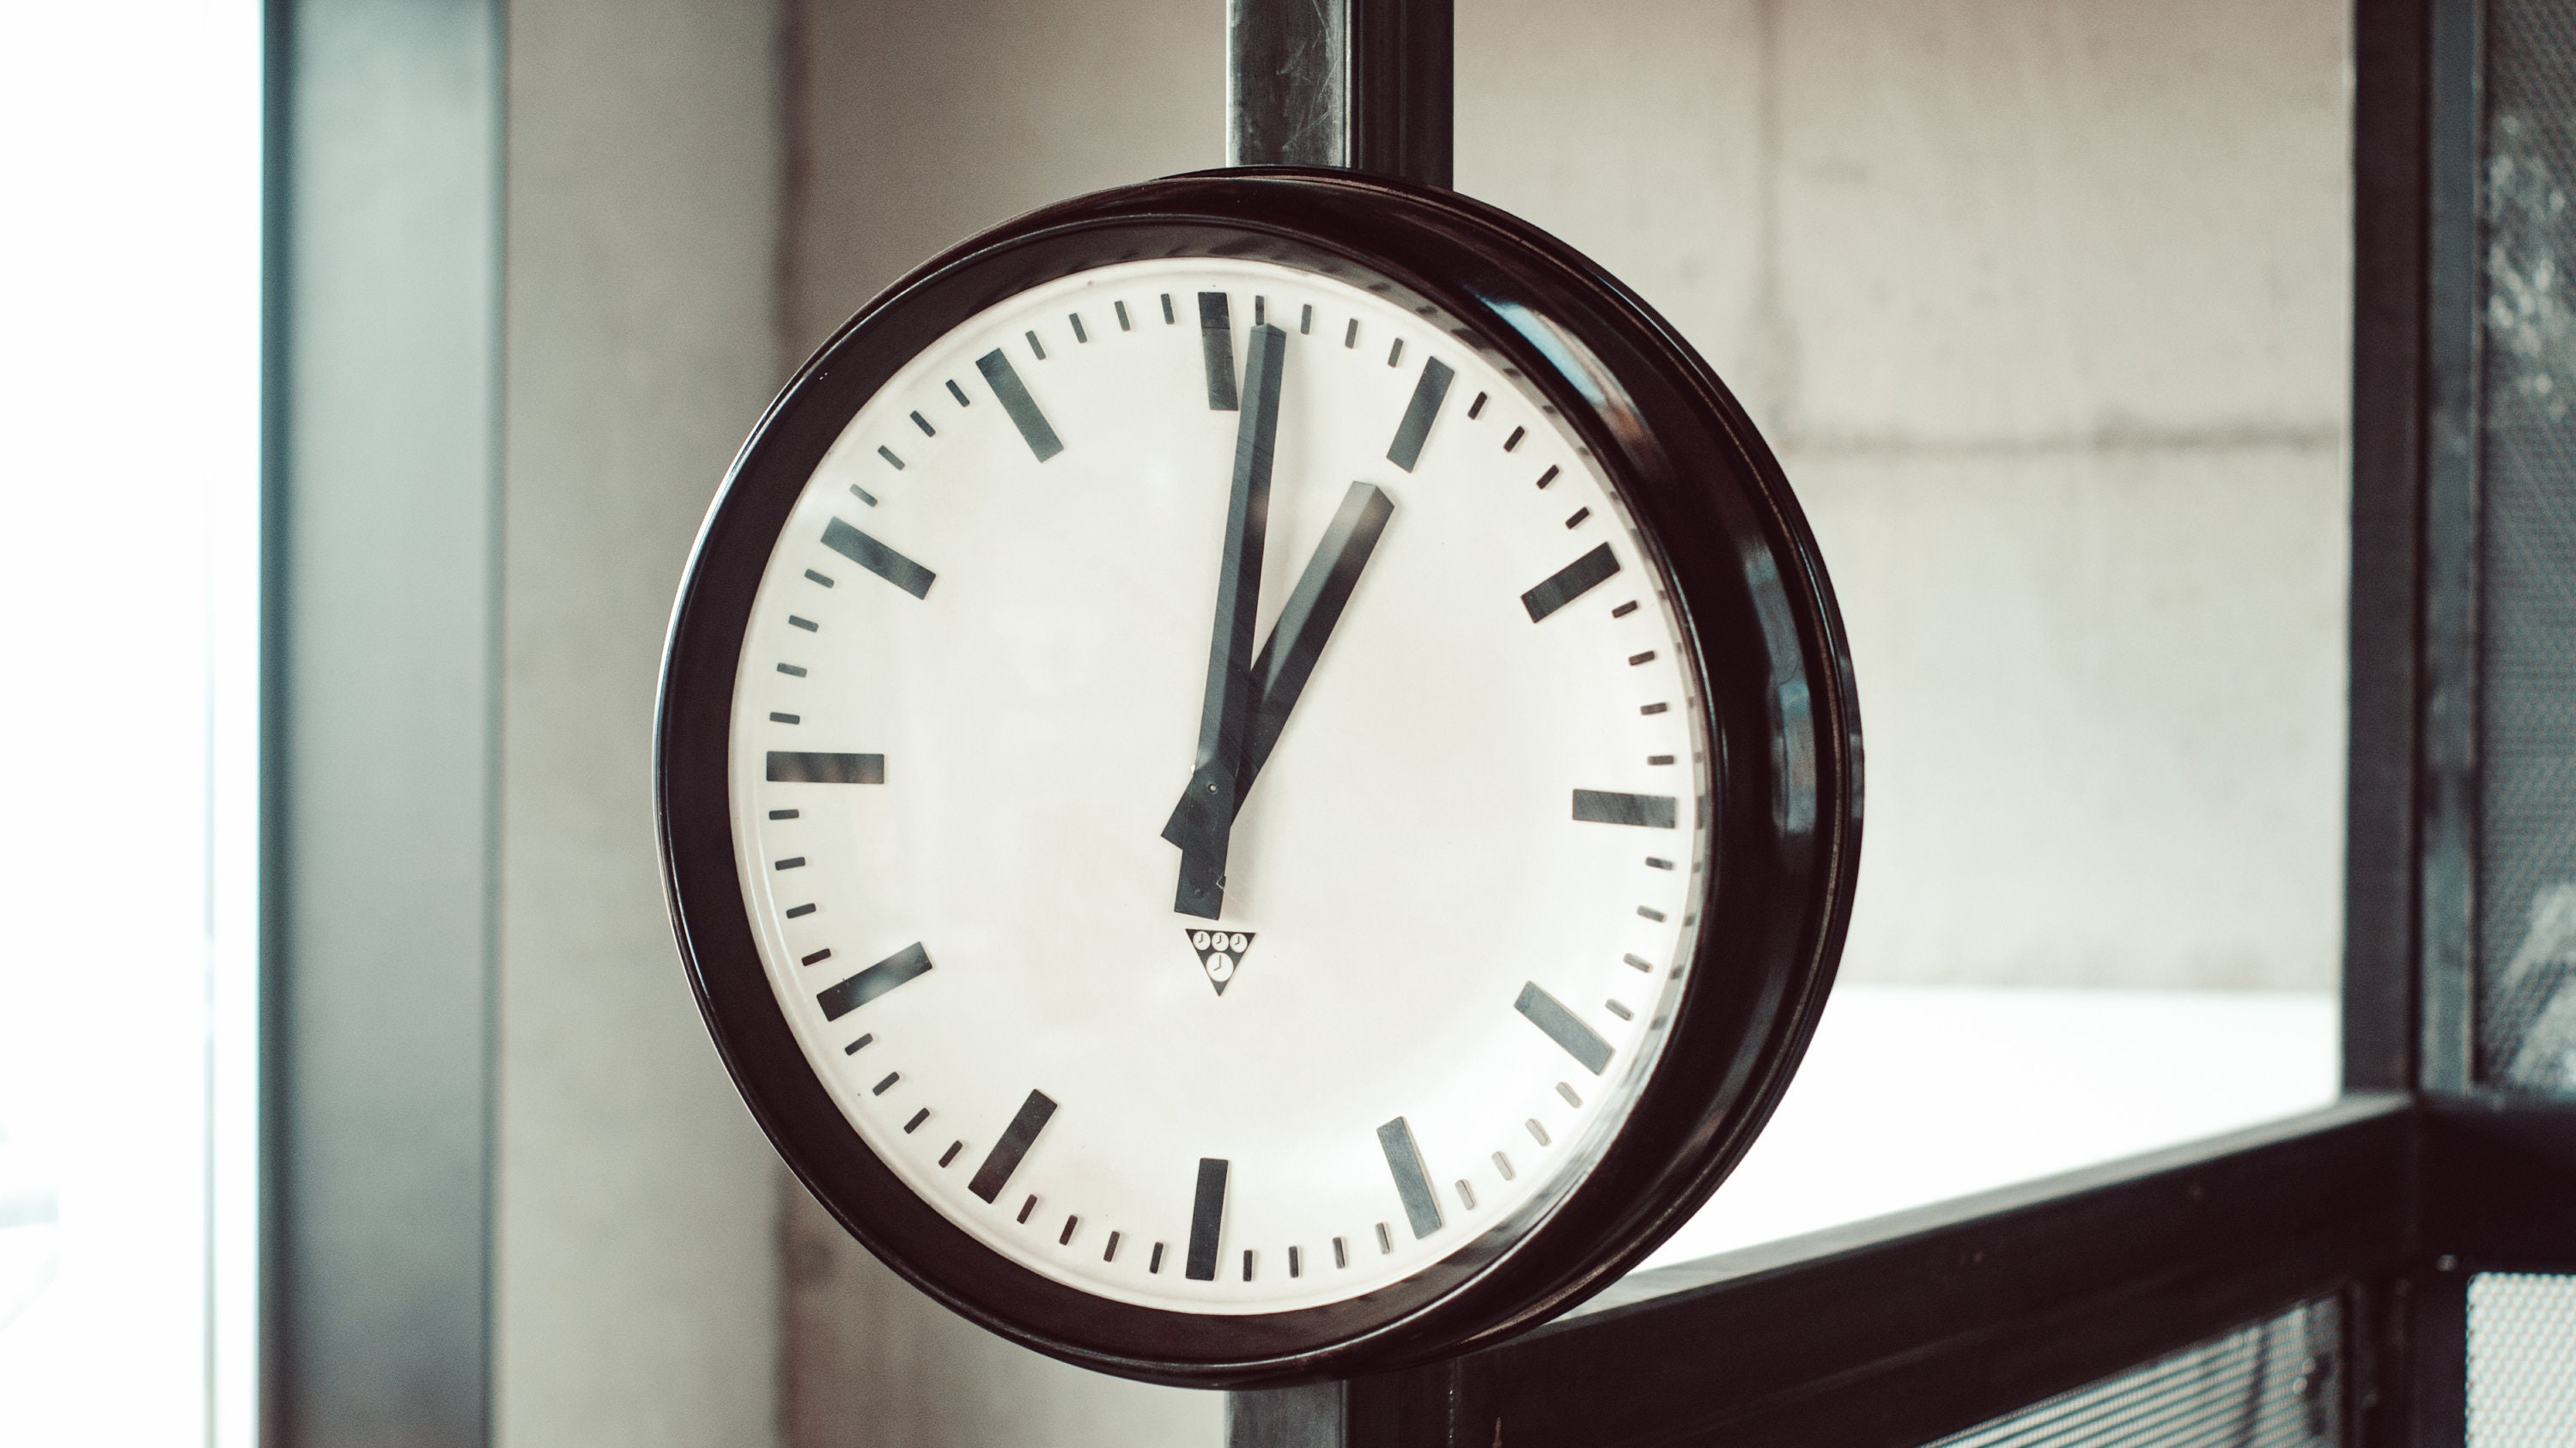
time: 1:01
